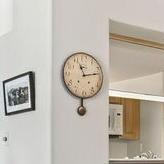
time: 11:13
